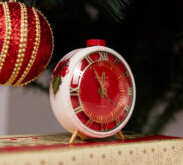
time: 11:55
